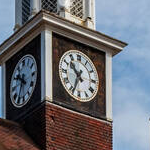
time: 10:33
